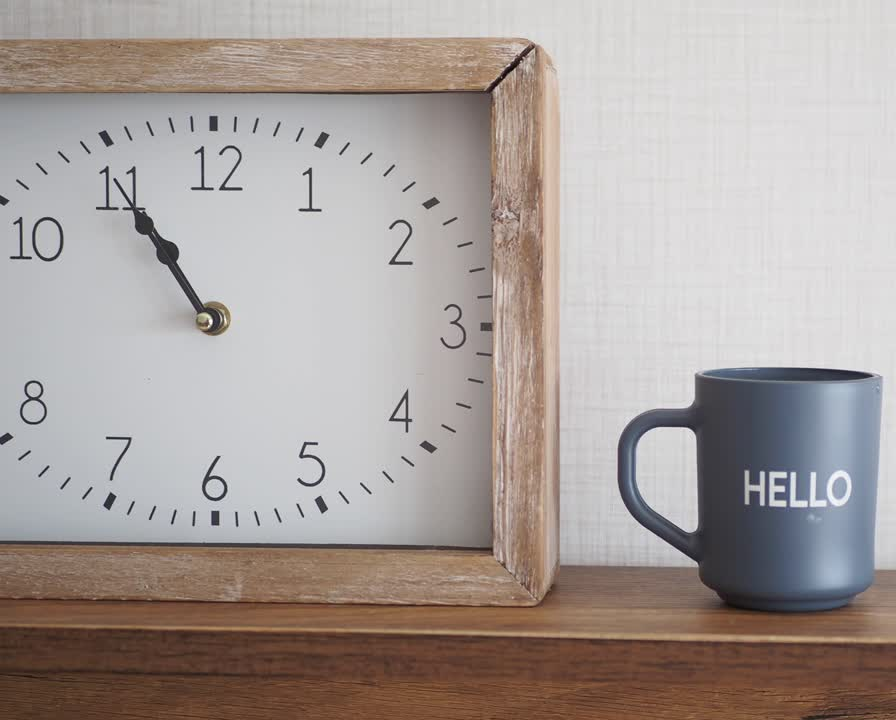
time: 10:54
